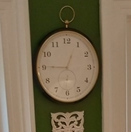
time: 12:45
